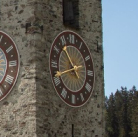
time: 10:41
